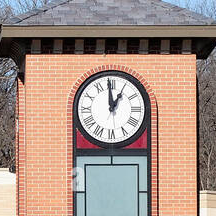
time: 12:59
